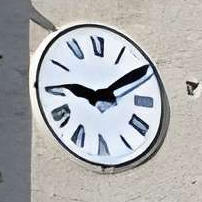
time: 9:09
